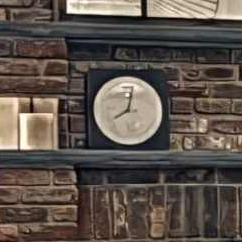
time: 8:02
